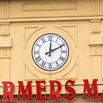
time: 12:10
